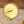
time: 8:41
